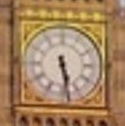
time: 5:28
